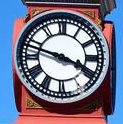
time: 3:47
